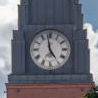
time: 4:58
